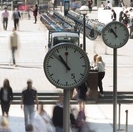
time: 10:52
